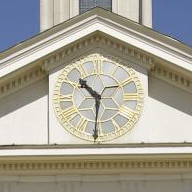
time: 10:30
